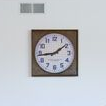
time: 1:43
